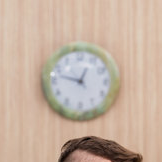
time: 12:47
